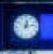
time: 12:13
